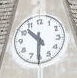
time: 10:30
